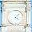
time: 4:07
